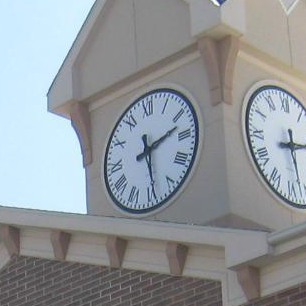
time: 2:29
